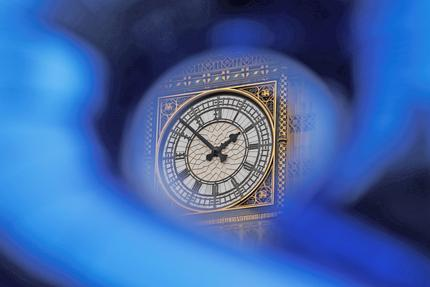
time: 1:51
